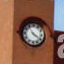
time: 3:53
